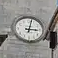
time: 3:02
